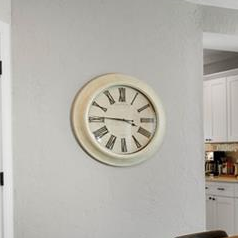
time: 3:45
